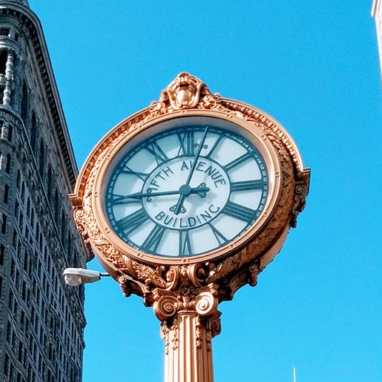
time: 9:02
